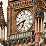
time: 6:41
